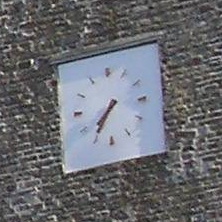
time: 7:36
